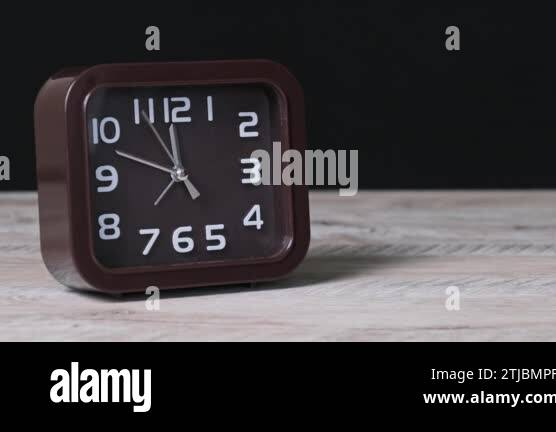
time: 11:48
